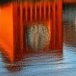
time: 6:32
